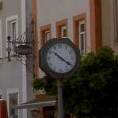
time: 10:20
